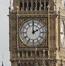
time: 2:00
